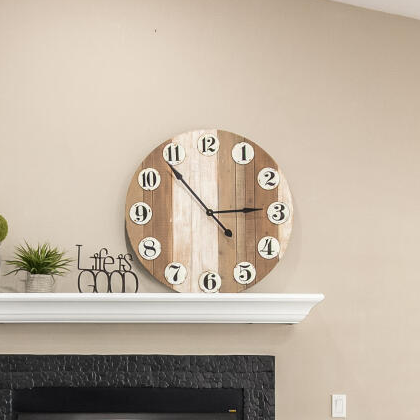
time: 2:53
